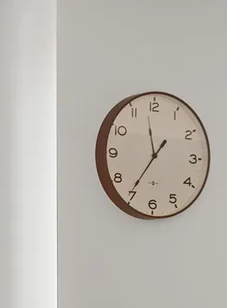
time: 11:35
